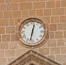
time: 12:32
